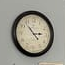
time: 2:53
